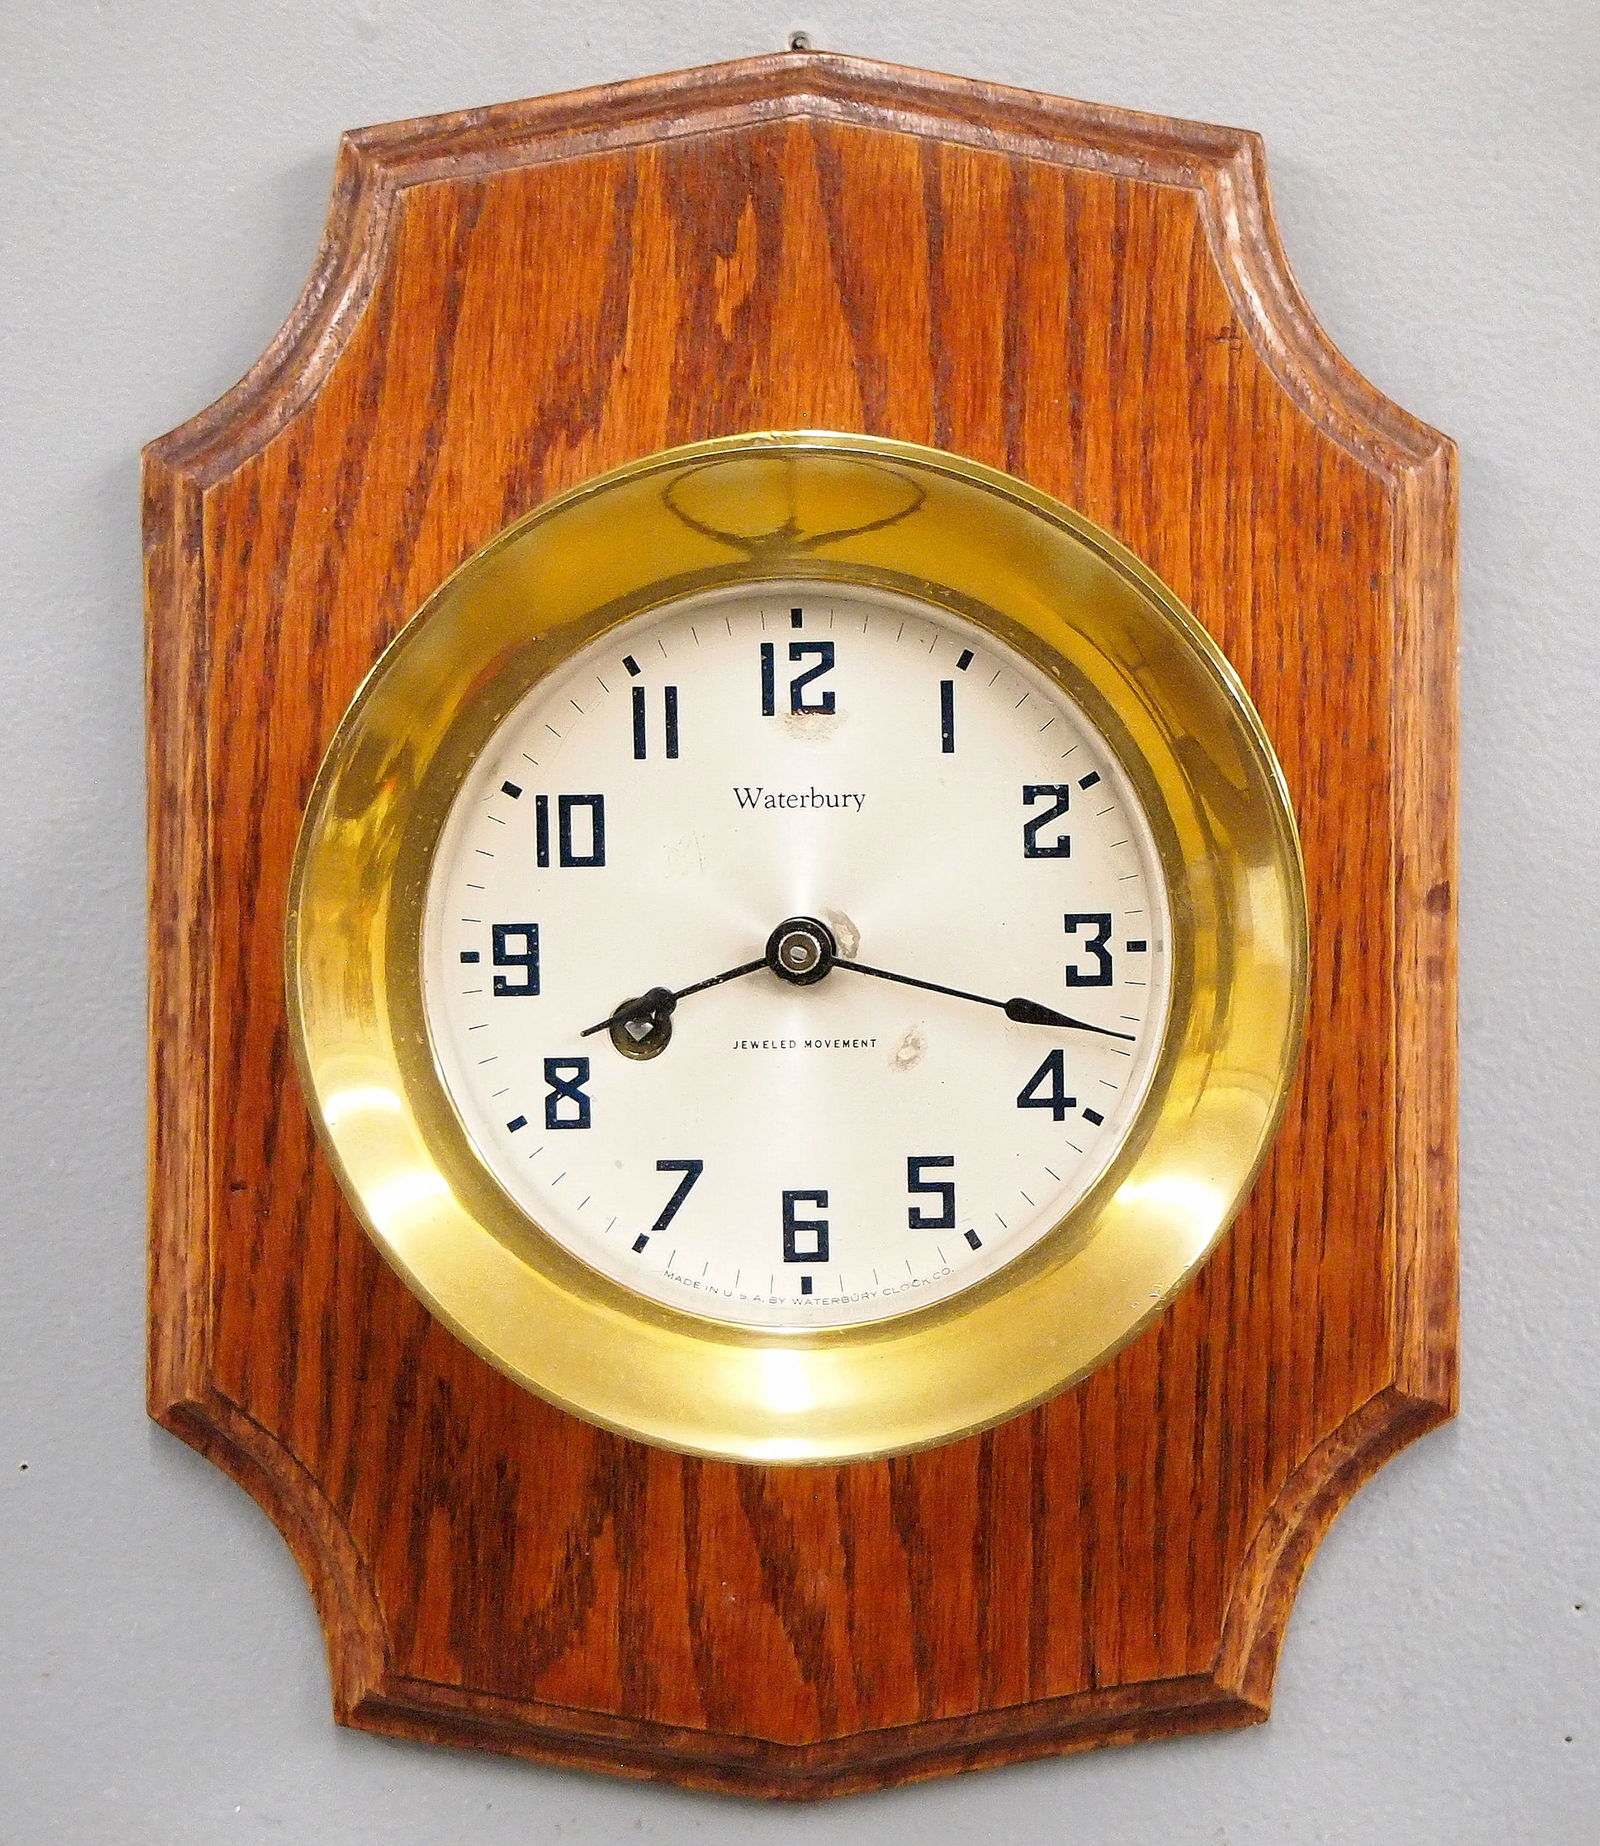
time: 8:17
